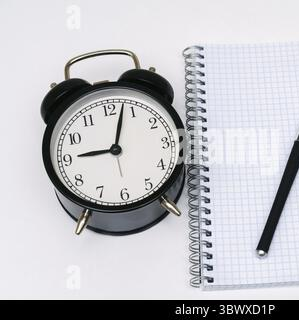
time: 9:03
